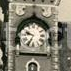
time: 9:34
